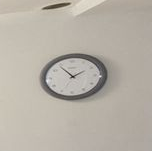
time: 1:53
